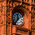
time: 11:35
